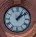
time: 1:08
